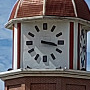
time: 3:17
